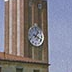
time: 1:18
